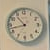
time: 10:42
